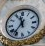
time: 11:36
